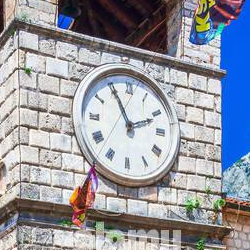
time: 1:55
